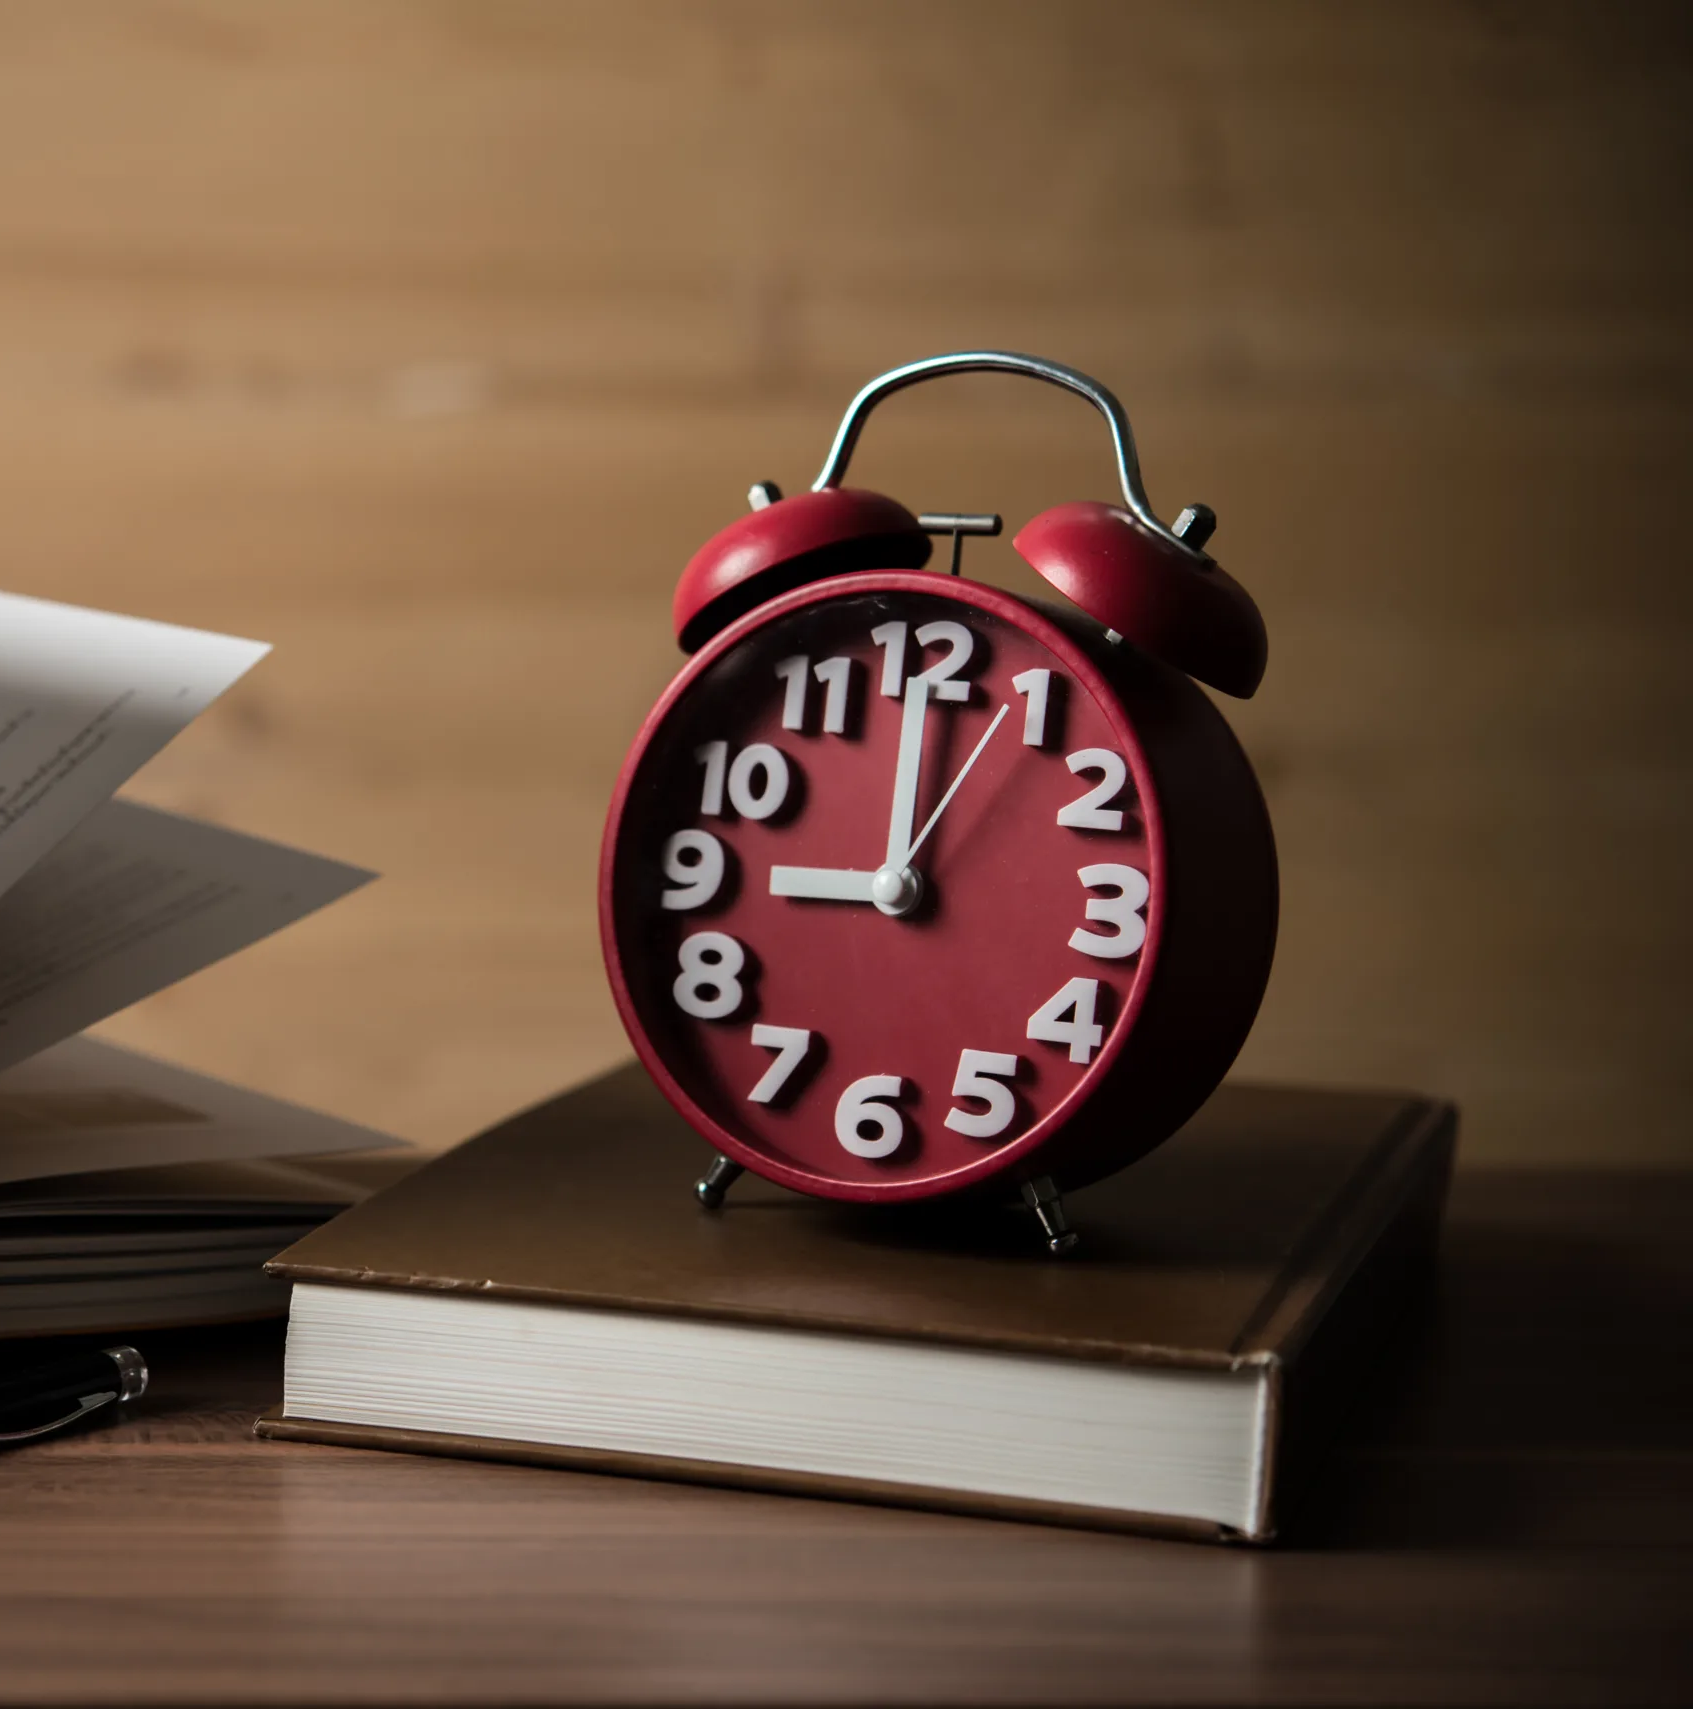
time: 8:59
